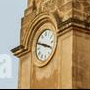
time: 3:48
